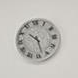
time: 10:28
